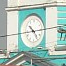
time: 10:14
